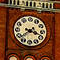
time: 3:38
